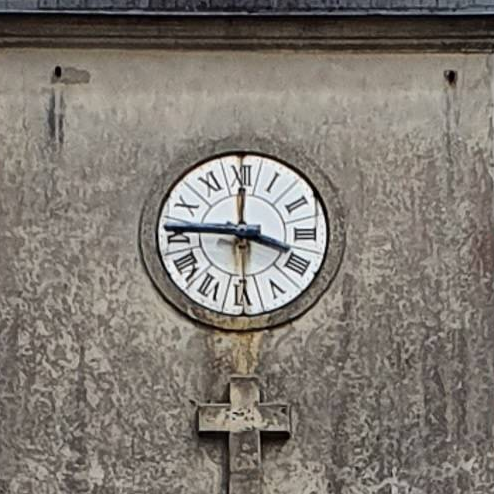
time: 3:45
